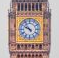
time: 9:53
